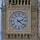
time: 2:21
